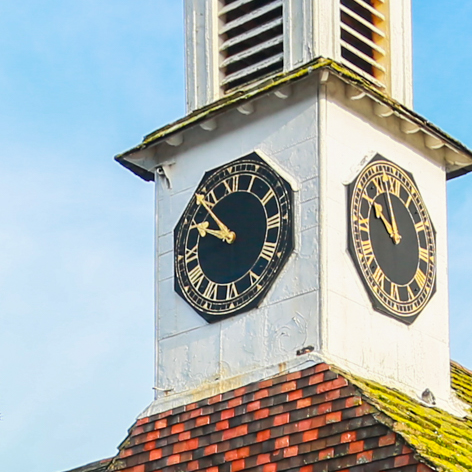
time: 9:53
